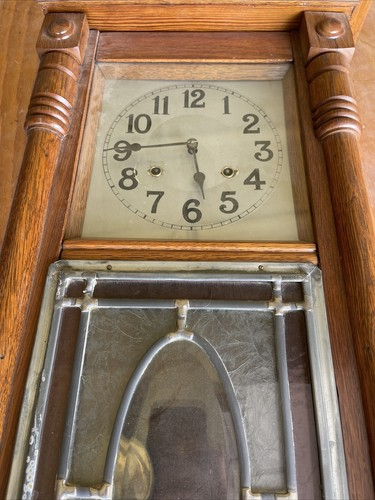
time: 5:44
